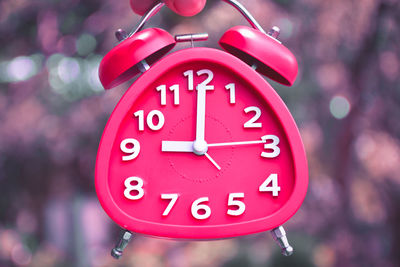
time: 9:00
